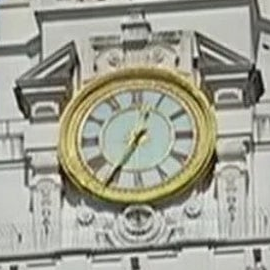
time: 12:35
